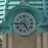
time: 4:44
